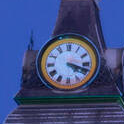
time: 4:18
